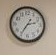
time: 2:35
